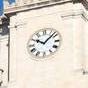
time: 10:07
